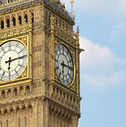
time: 6:14
